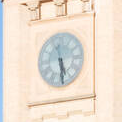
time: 5:29
